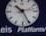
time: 10:25
